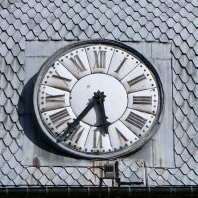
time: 5:36
